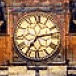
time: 7:13
